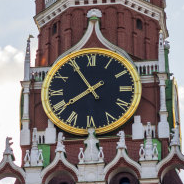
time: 7:54
